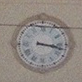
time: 3:17
